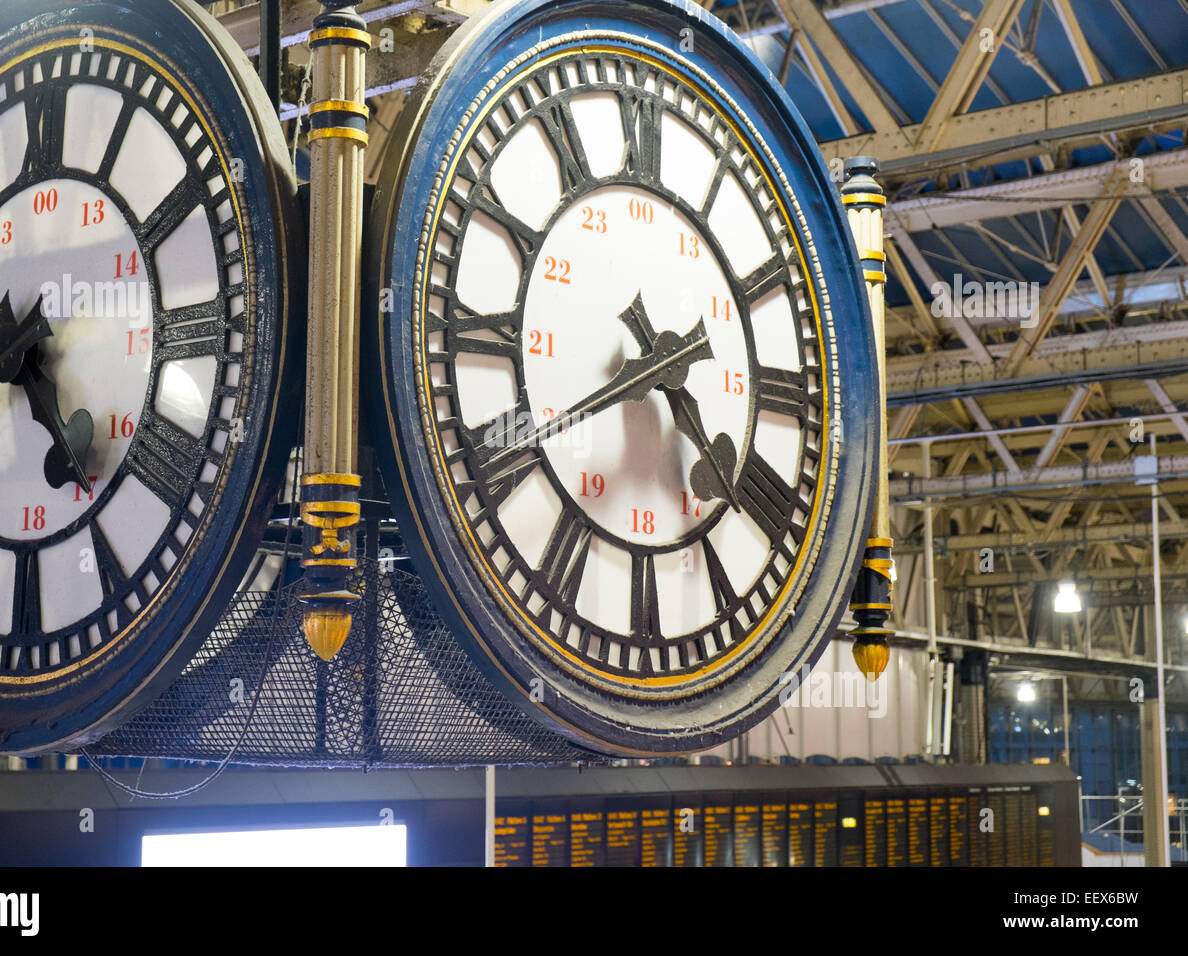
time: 2:21
